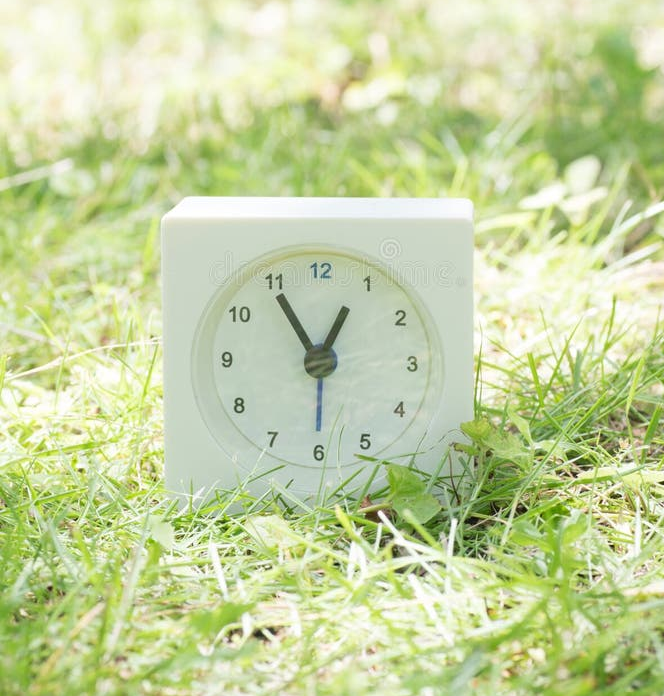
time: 12:54
